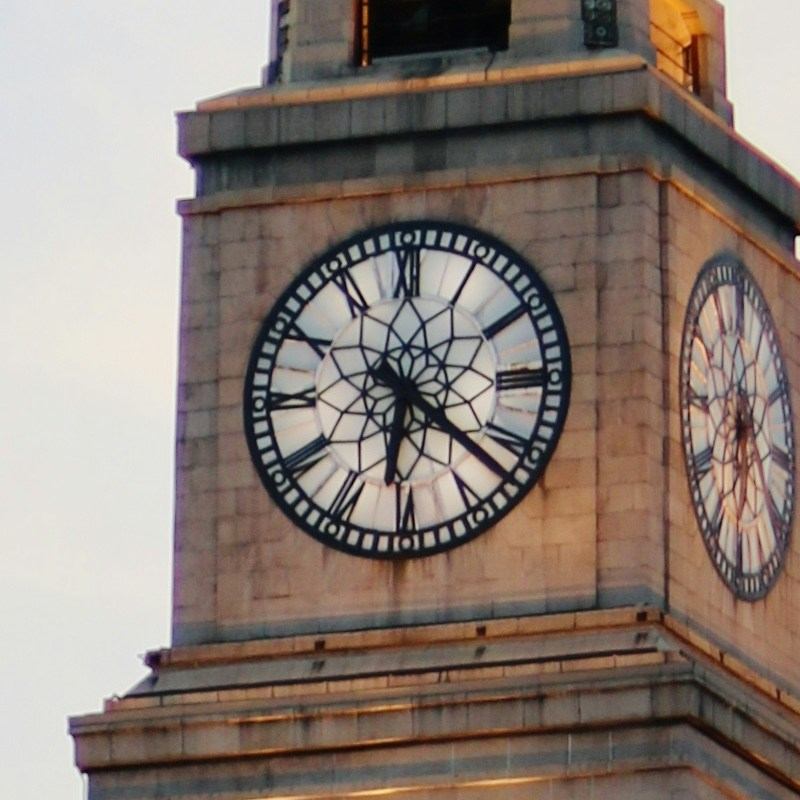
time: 6:21
